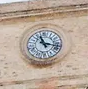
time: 11:17
